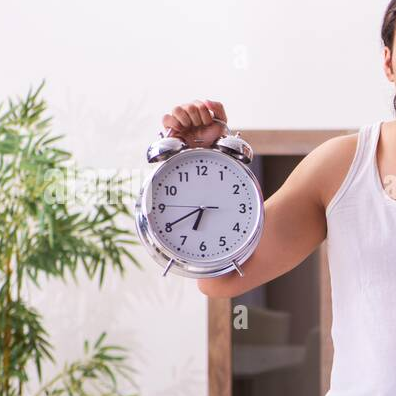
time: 6:40
